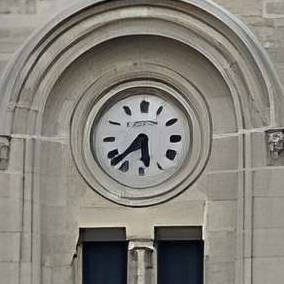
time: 5:37
